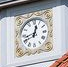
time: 12:42
